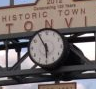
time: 5:54
